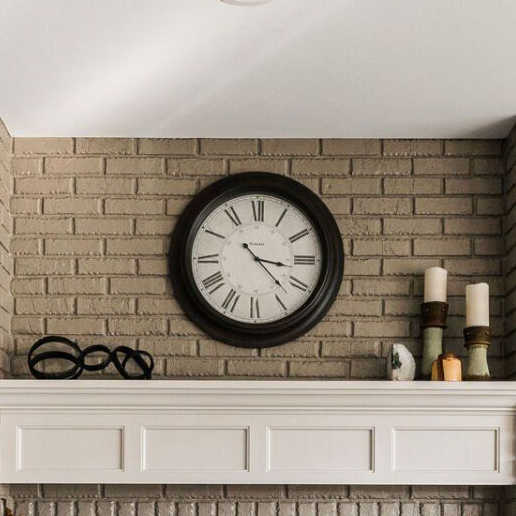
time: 3:22
